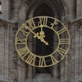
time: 11:51
